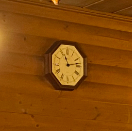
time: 11:13
